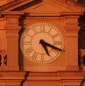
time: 5:18
